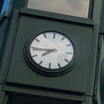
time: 7:44
